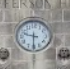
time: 9:30
